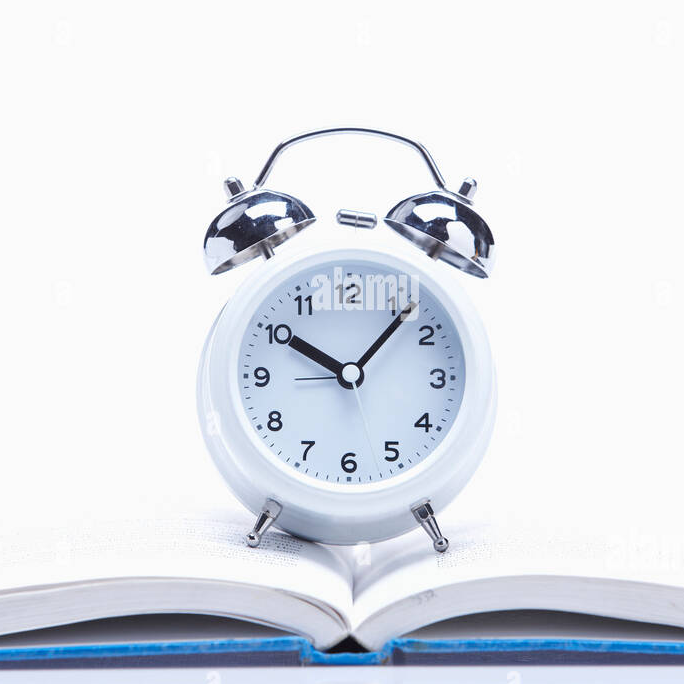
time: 10:07
